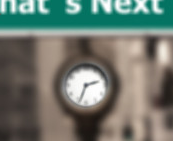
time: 2:33
